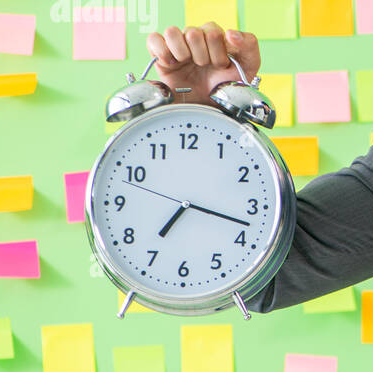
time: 7:17
